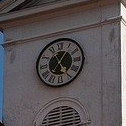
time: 5:05
